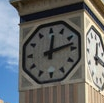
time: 12:12
